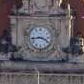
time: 3:43
